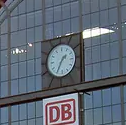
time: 1:34
